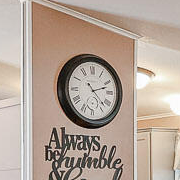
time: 2:22
